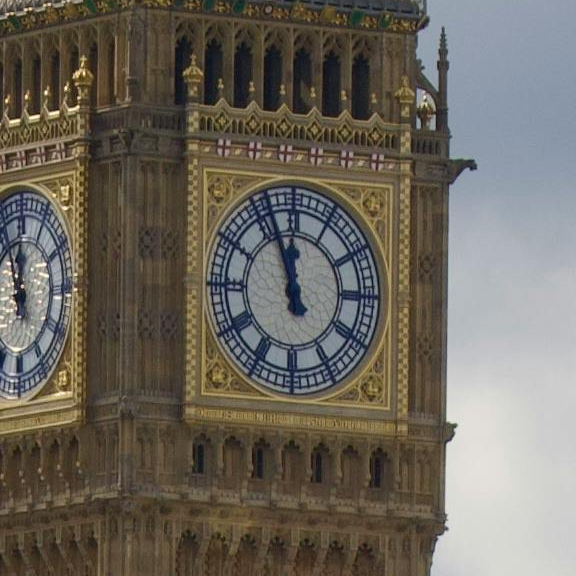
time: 11:56
